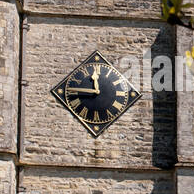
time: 11:46
